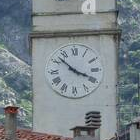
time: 3:52
